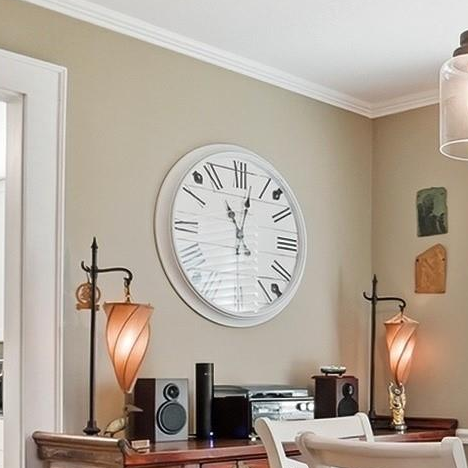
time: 11:02
